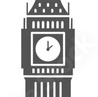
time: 2:00
